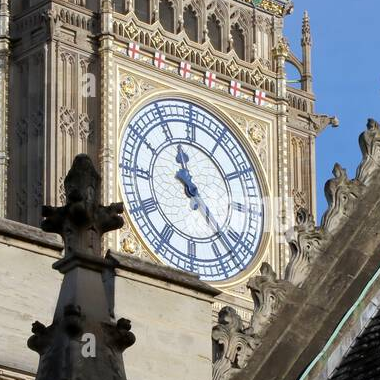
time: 11:22
